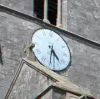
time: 4:30
